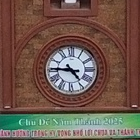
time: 4:45
